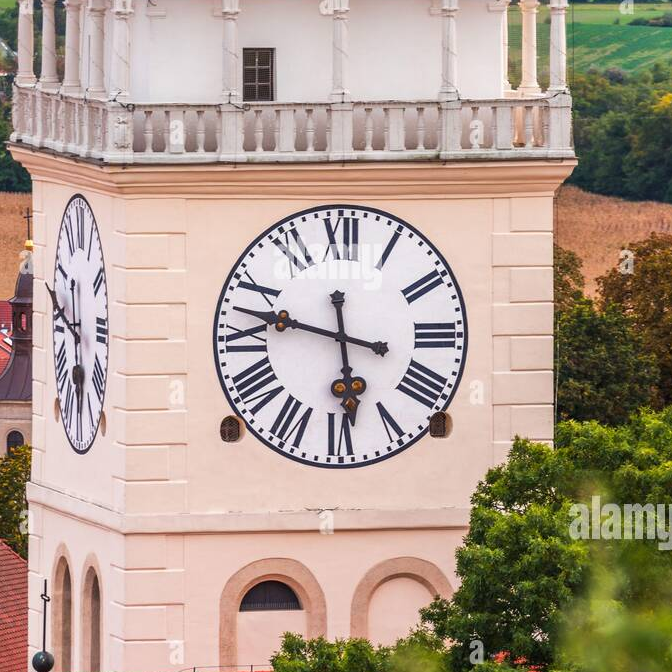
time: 5:47
